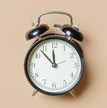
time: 11:52
